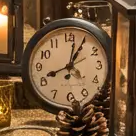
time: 1:02
